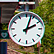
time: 2:03
